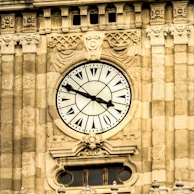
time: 3:49
